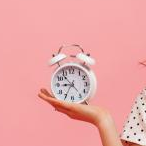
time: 8:53
